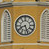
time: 8:26
